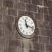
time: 11:17
